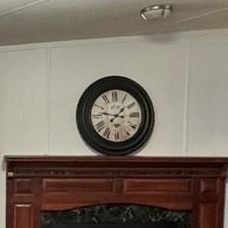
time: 1:47
